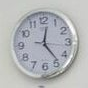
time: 12:23
